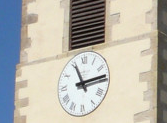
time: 11:13
